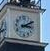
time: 3:09
